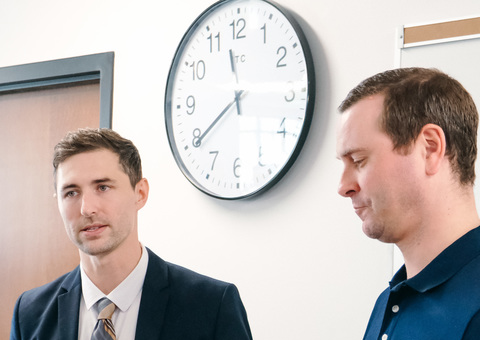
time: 11:39
